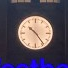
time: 10:24
